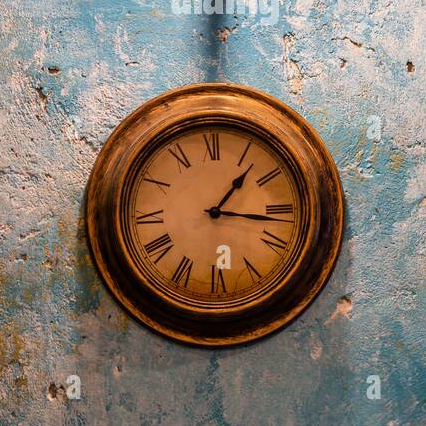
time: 1:16
